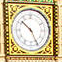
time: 10:25
